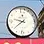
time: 9:38
